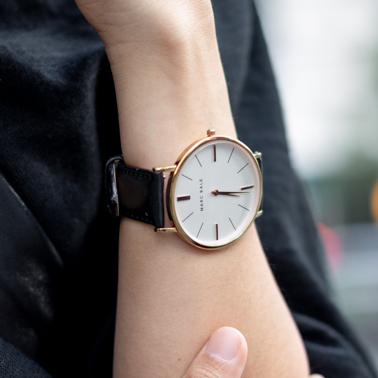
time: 3:15
